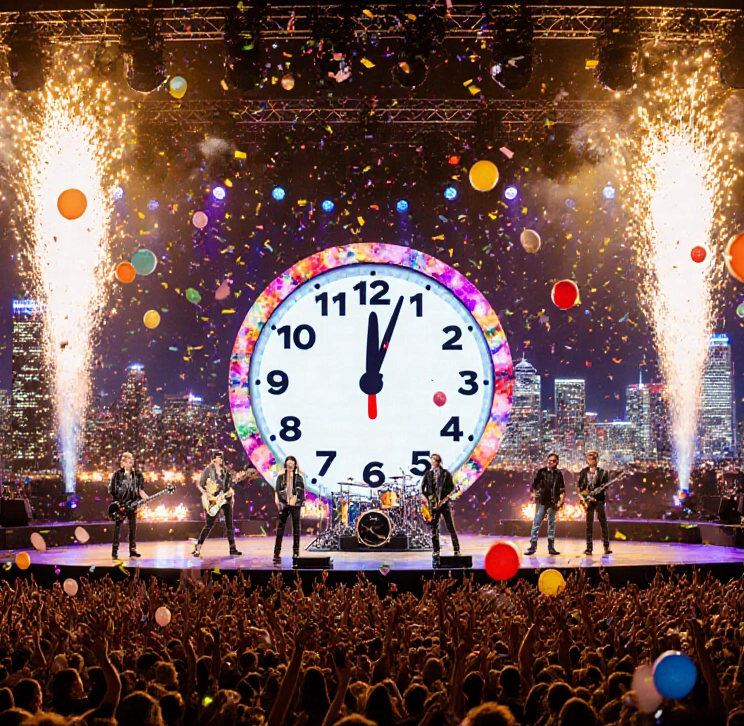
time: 12:03
